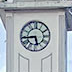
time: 5:44
